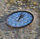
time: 1:02
